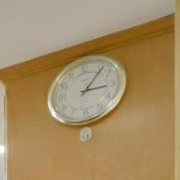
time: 3:06
